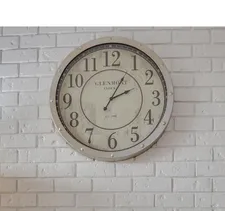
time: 2:04
